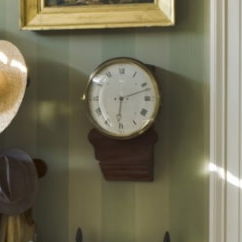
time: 6:12
